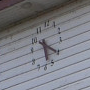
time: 5:20
